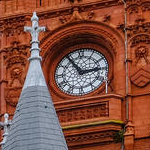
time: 2:54
